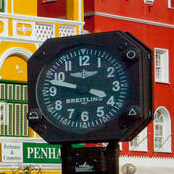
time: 3:47
